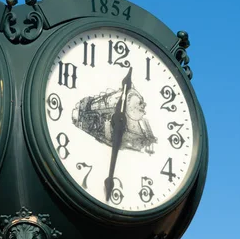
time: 12:31
